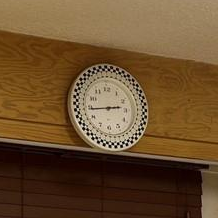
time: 2:43
